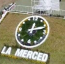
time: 12:12
